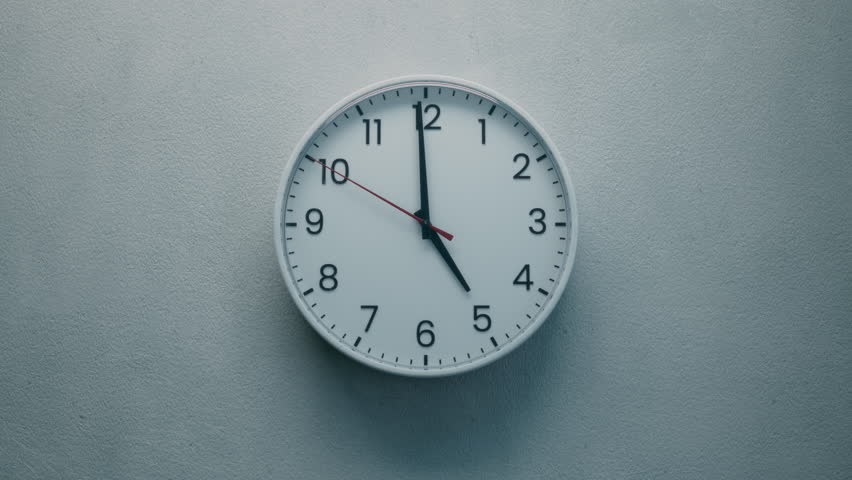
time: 4:59
